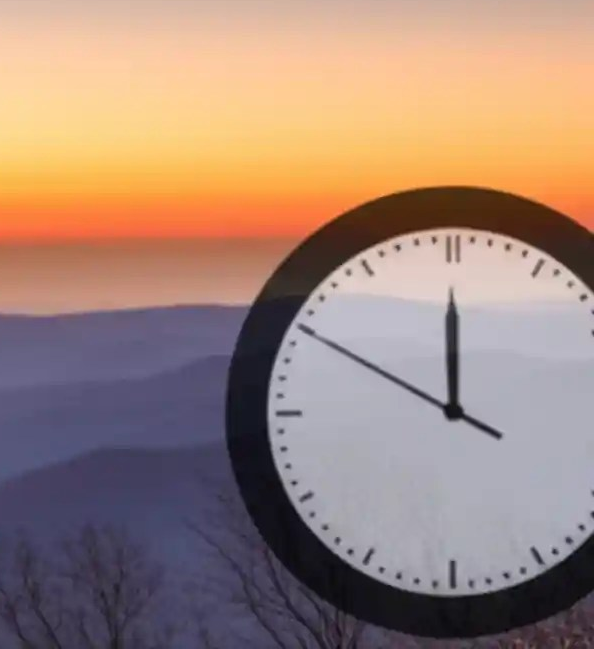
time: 11:49
